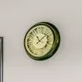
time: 11:07
